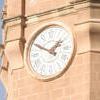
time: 1:50
